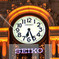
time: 6:26
